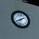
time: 8:09
